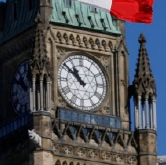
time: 10:51
